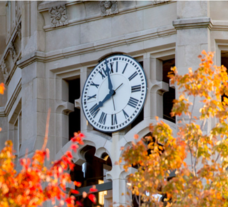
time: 7:57
